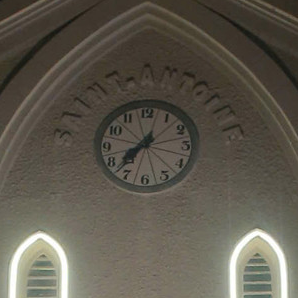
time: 7:36
